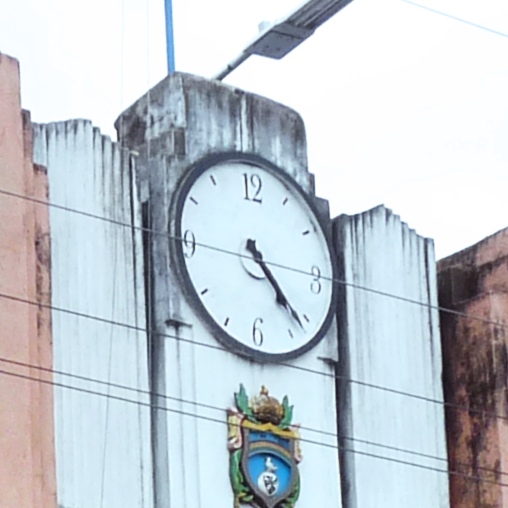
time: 4:22
